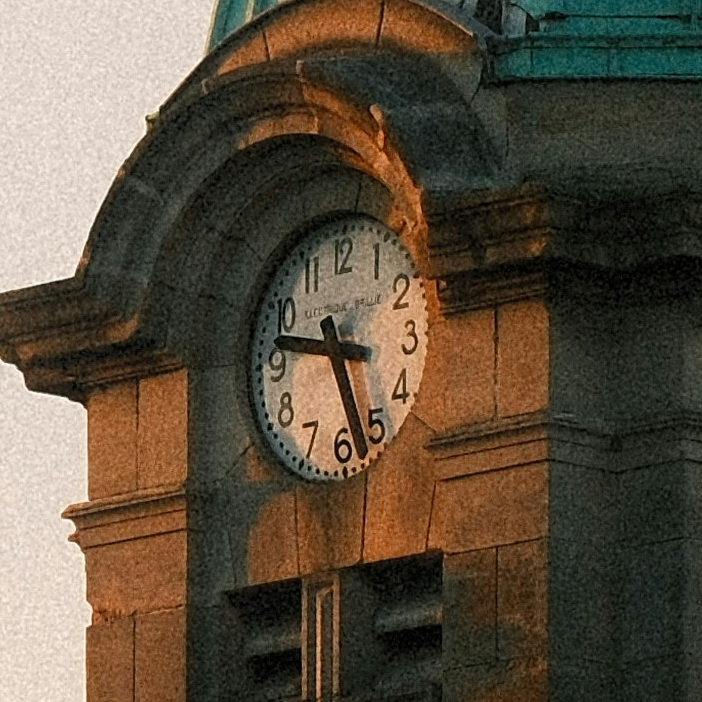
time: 9:26
